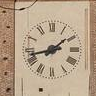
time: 1:42
